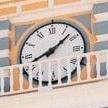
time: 8:07
